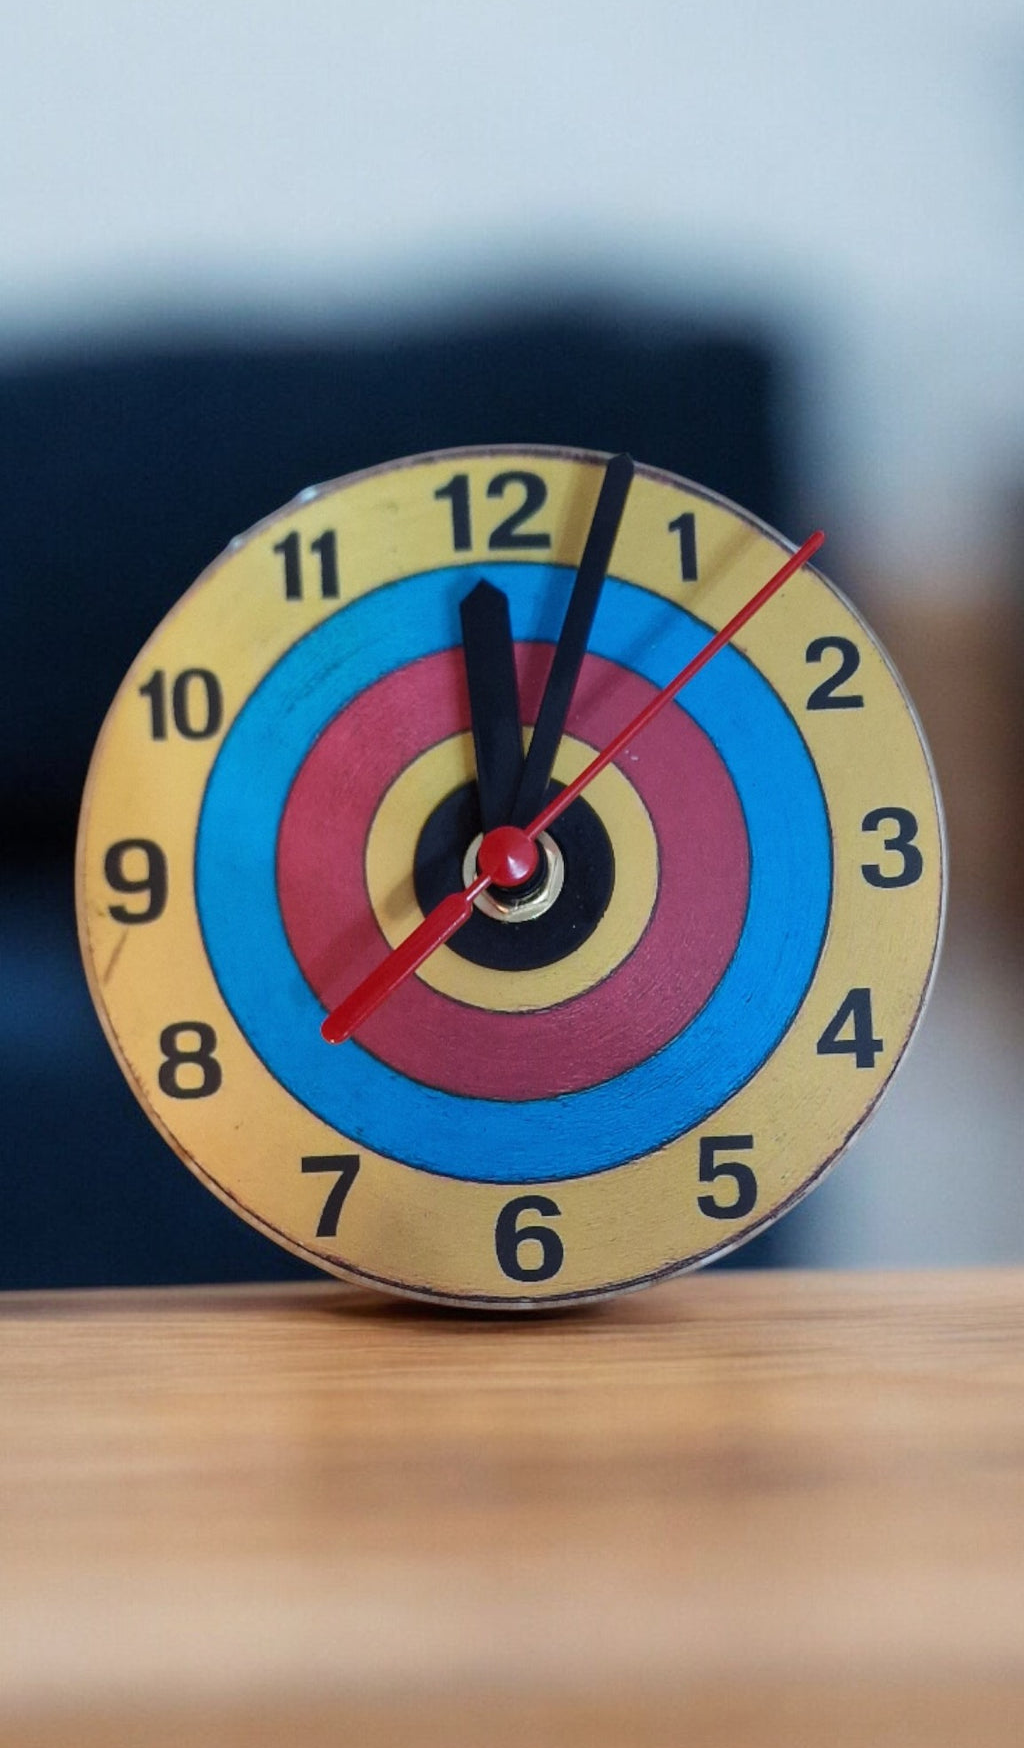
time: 12:03
